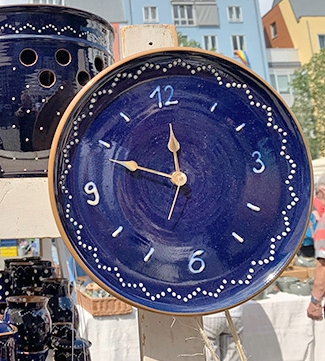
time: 11:48
